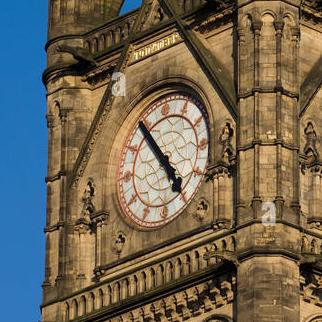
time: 4:54
